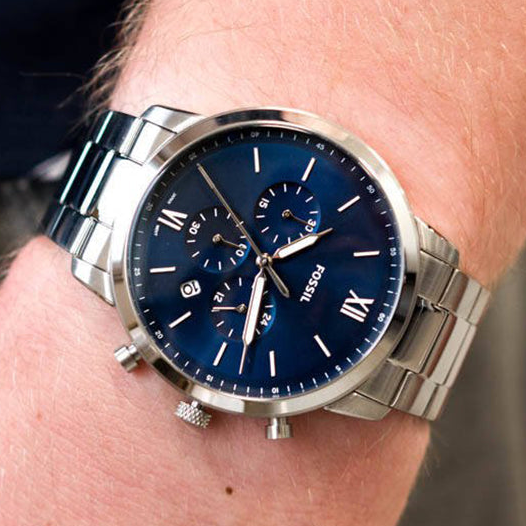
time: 2:32
